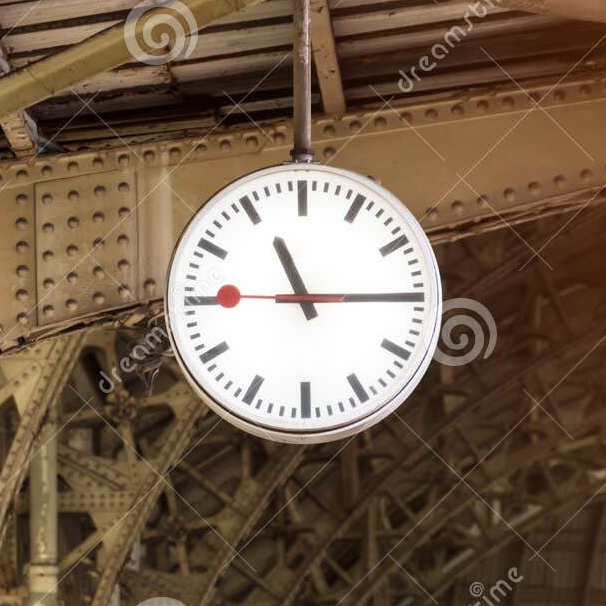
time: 11:14
